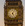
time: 5:06
